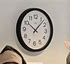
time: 10:07
